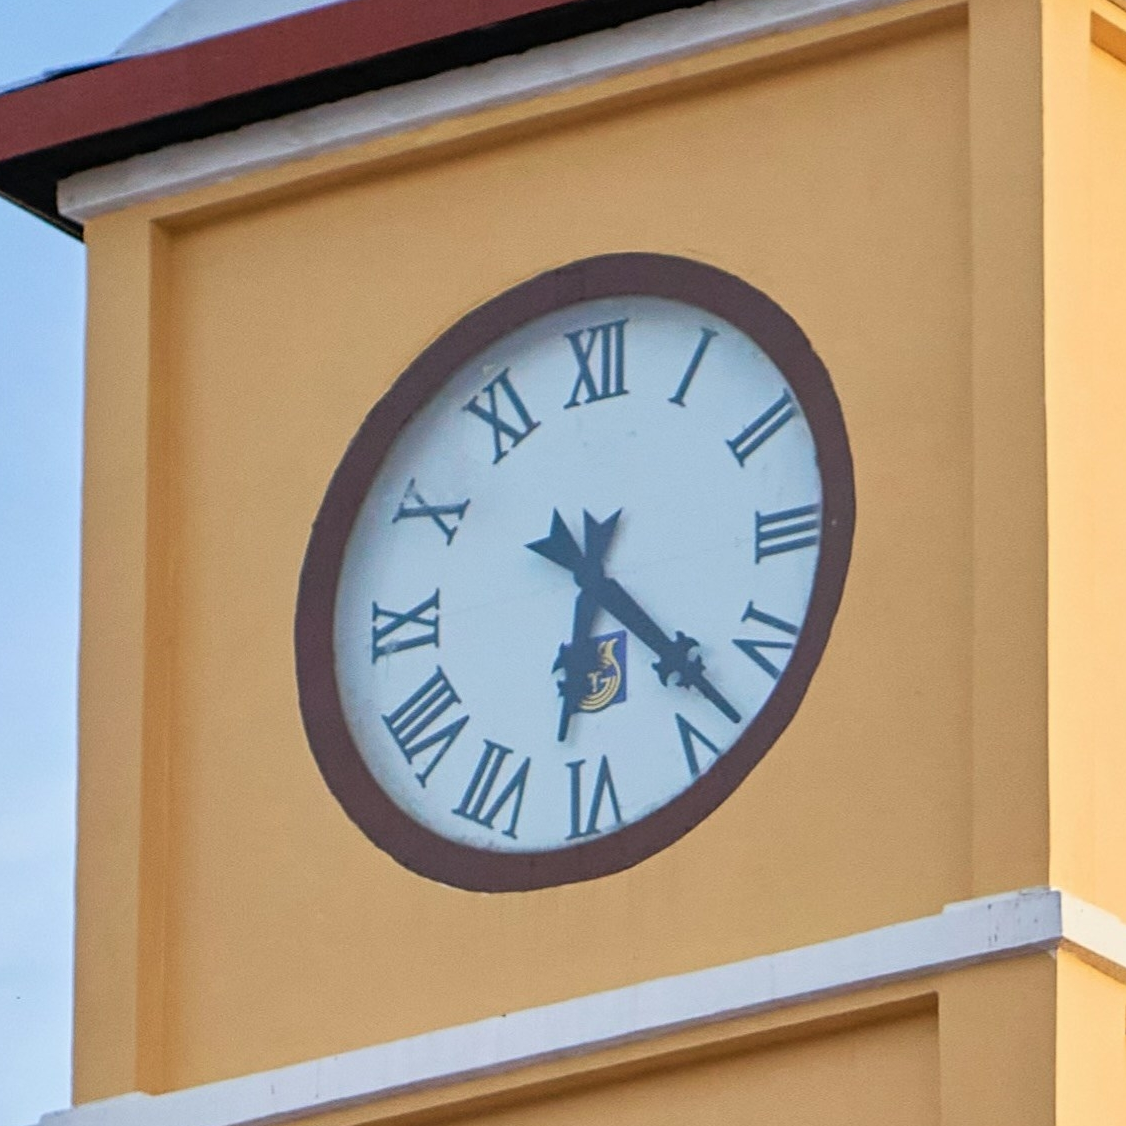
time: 6:22
